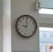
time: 8:59
